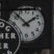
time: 1:52
